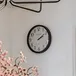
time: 2:09
